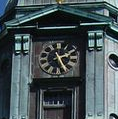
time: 2:25
